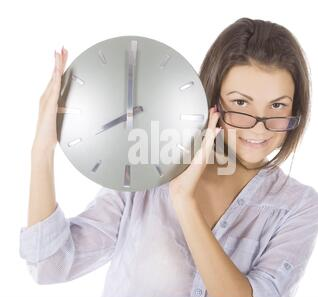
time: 7:59
